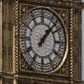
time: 1:07
